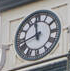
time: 11:42
